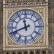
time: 11:41
